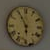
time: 5:55
